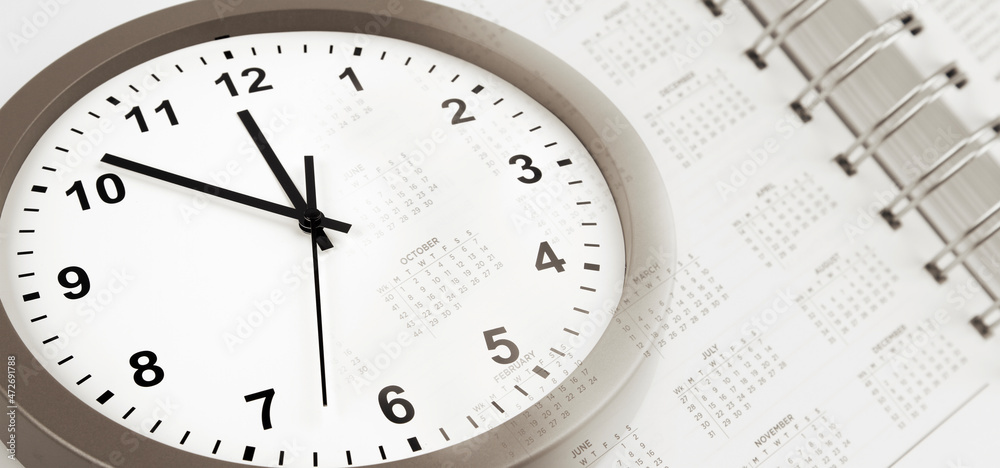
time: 11:51
